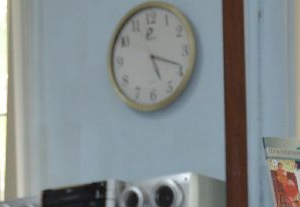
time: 5:18
